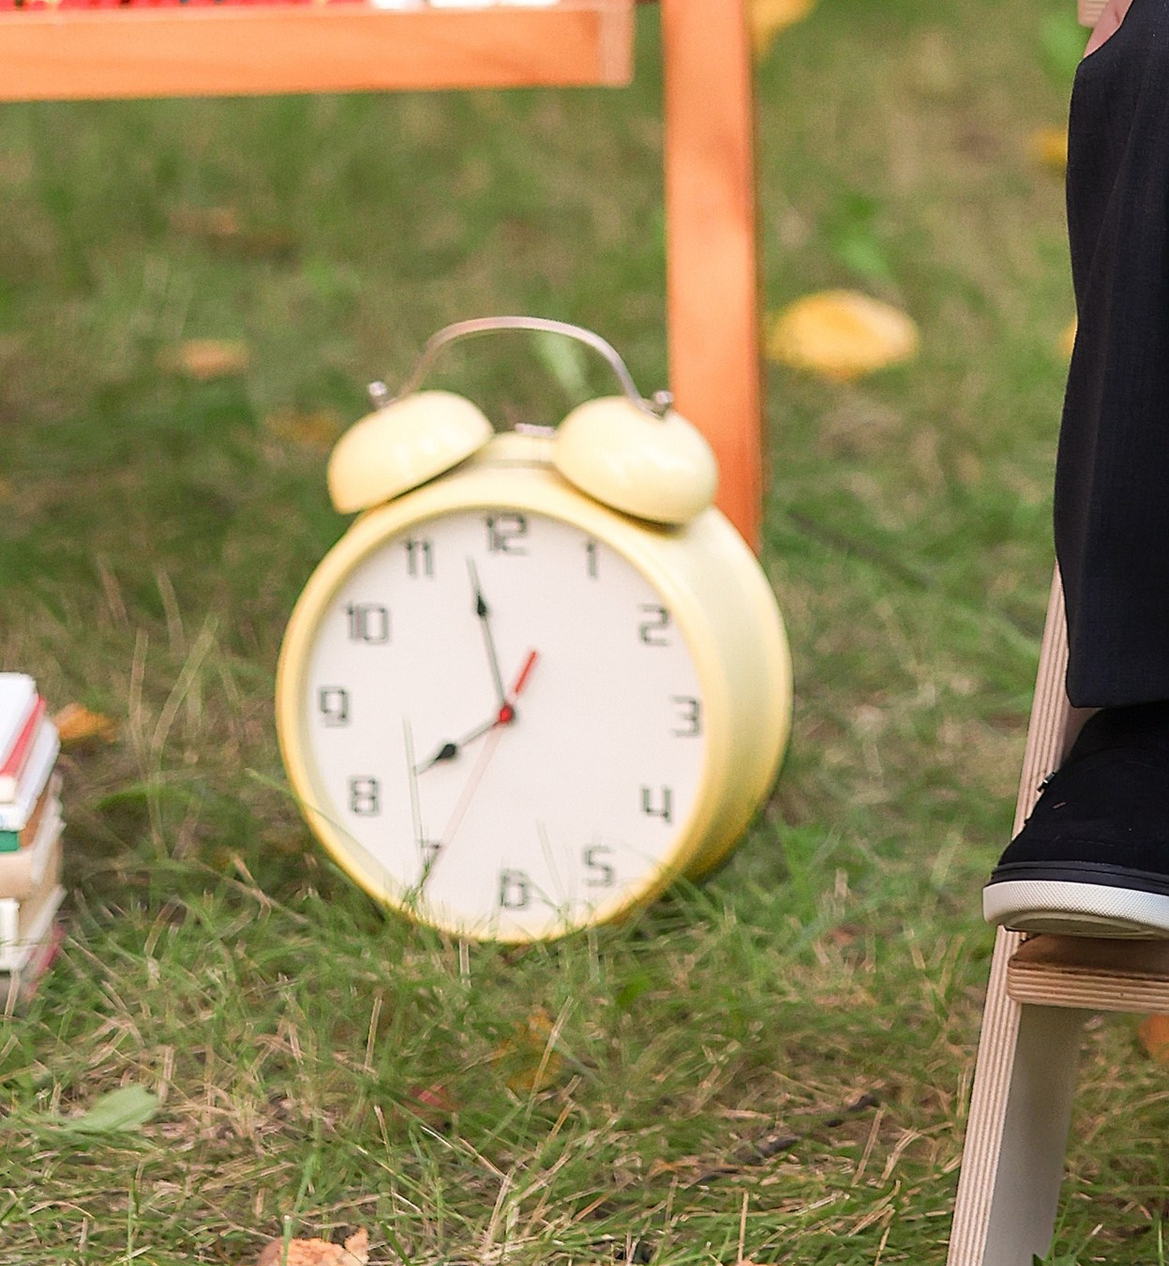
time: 7:58
